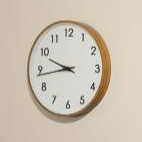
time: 9:43
